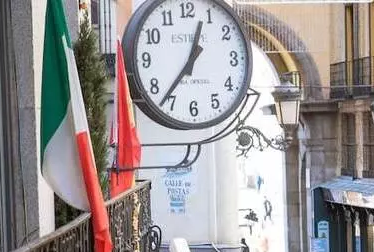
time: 12:36
